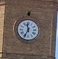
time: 11:34
